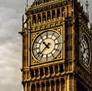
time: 10:38
